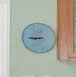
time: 8:45
